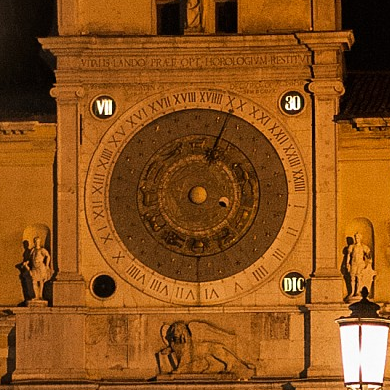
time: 4:04
